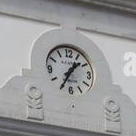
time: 1:34
